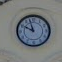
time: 9:57
